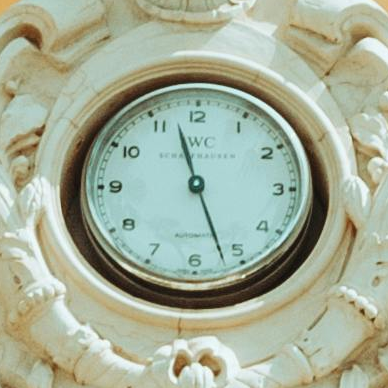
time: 11:26
